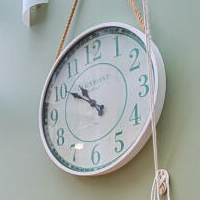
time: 10:50
